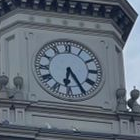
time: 6:24
